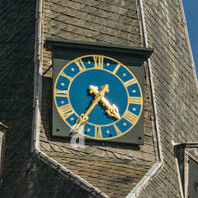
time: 4:35
